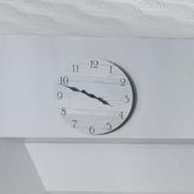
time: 3:48
